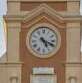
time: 5:18
